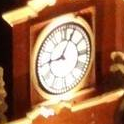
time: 9:04
